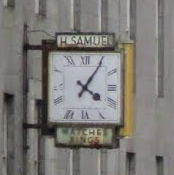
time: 4:05
